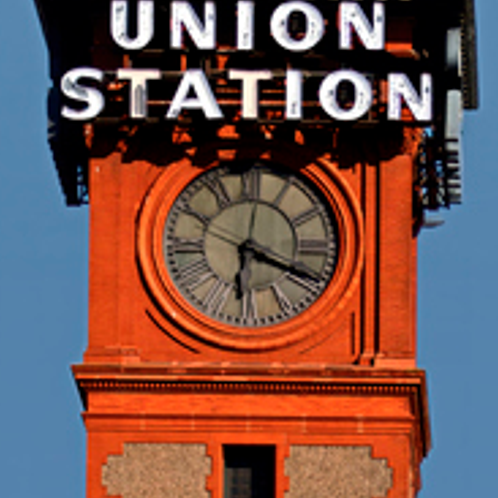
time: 6:18
